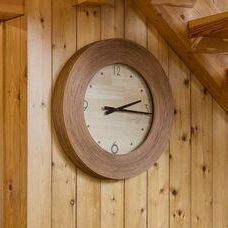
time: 2:15
